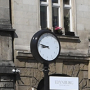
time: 8:46
